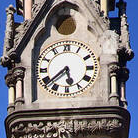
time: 5:38
